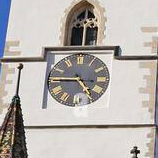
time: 4:45
